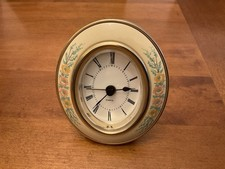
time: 7:14
